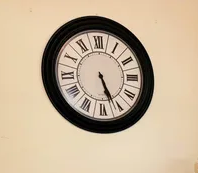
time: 5:26
